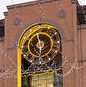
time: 5:57
